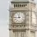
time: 11:44
